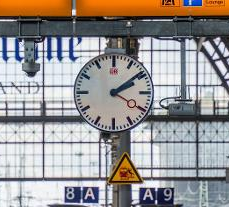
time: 2:09
